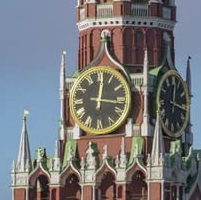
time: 12:16
